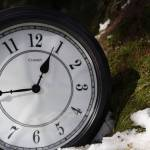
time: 12:44
